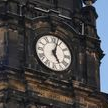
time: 5:03
